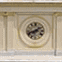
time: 1:41
